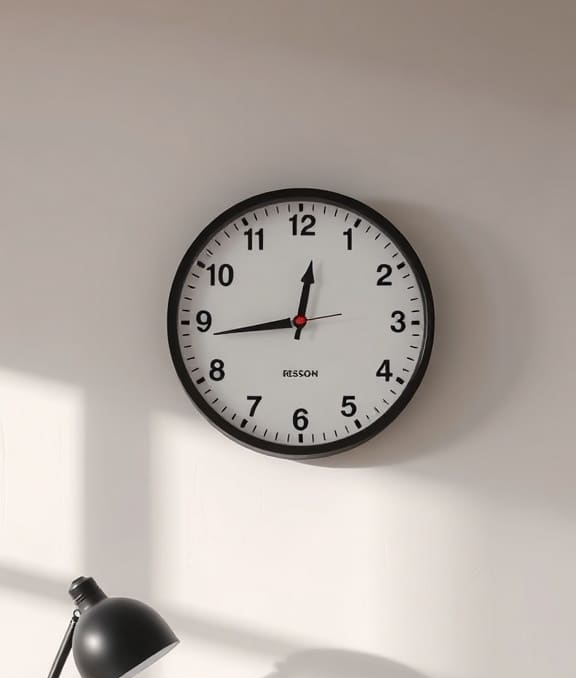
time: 12:43
